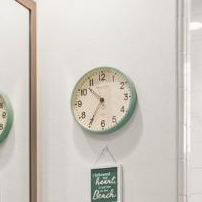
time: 10:35
